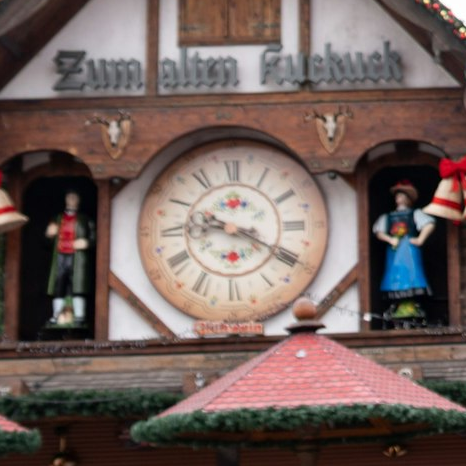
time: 9:20
